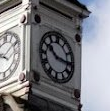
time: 10:16
